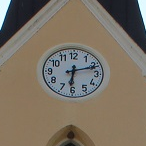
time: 6:11
